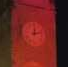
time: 12:13
